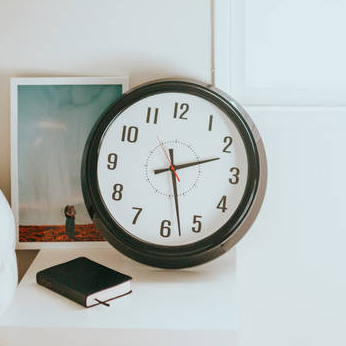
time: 2:27
